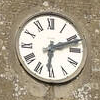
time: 6:11
